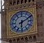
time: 6:10
